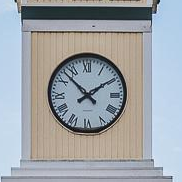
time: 1:52
